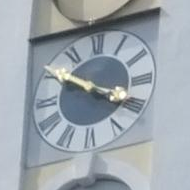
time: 3:50
